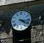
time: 4:17
